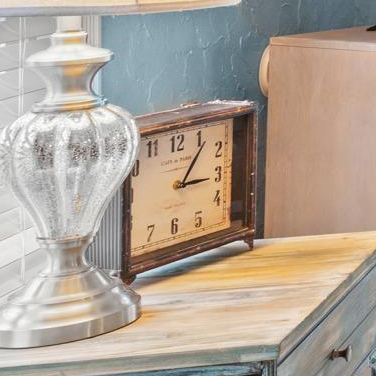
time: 3:05
